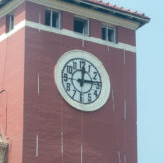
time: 12:14
